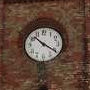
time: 10:20
